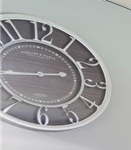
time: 2:43
